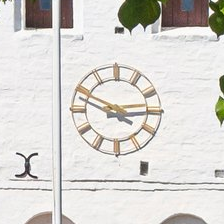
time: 2:49
